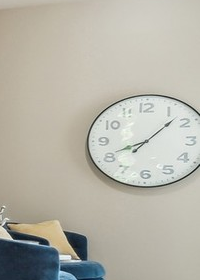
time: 8:07
